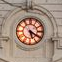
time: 5:19
